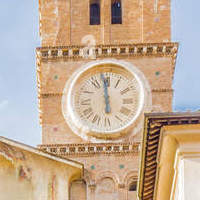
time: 5:59
